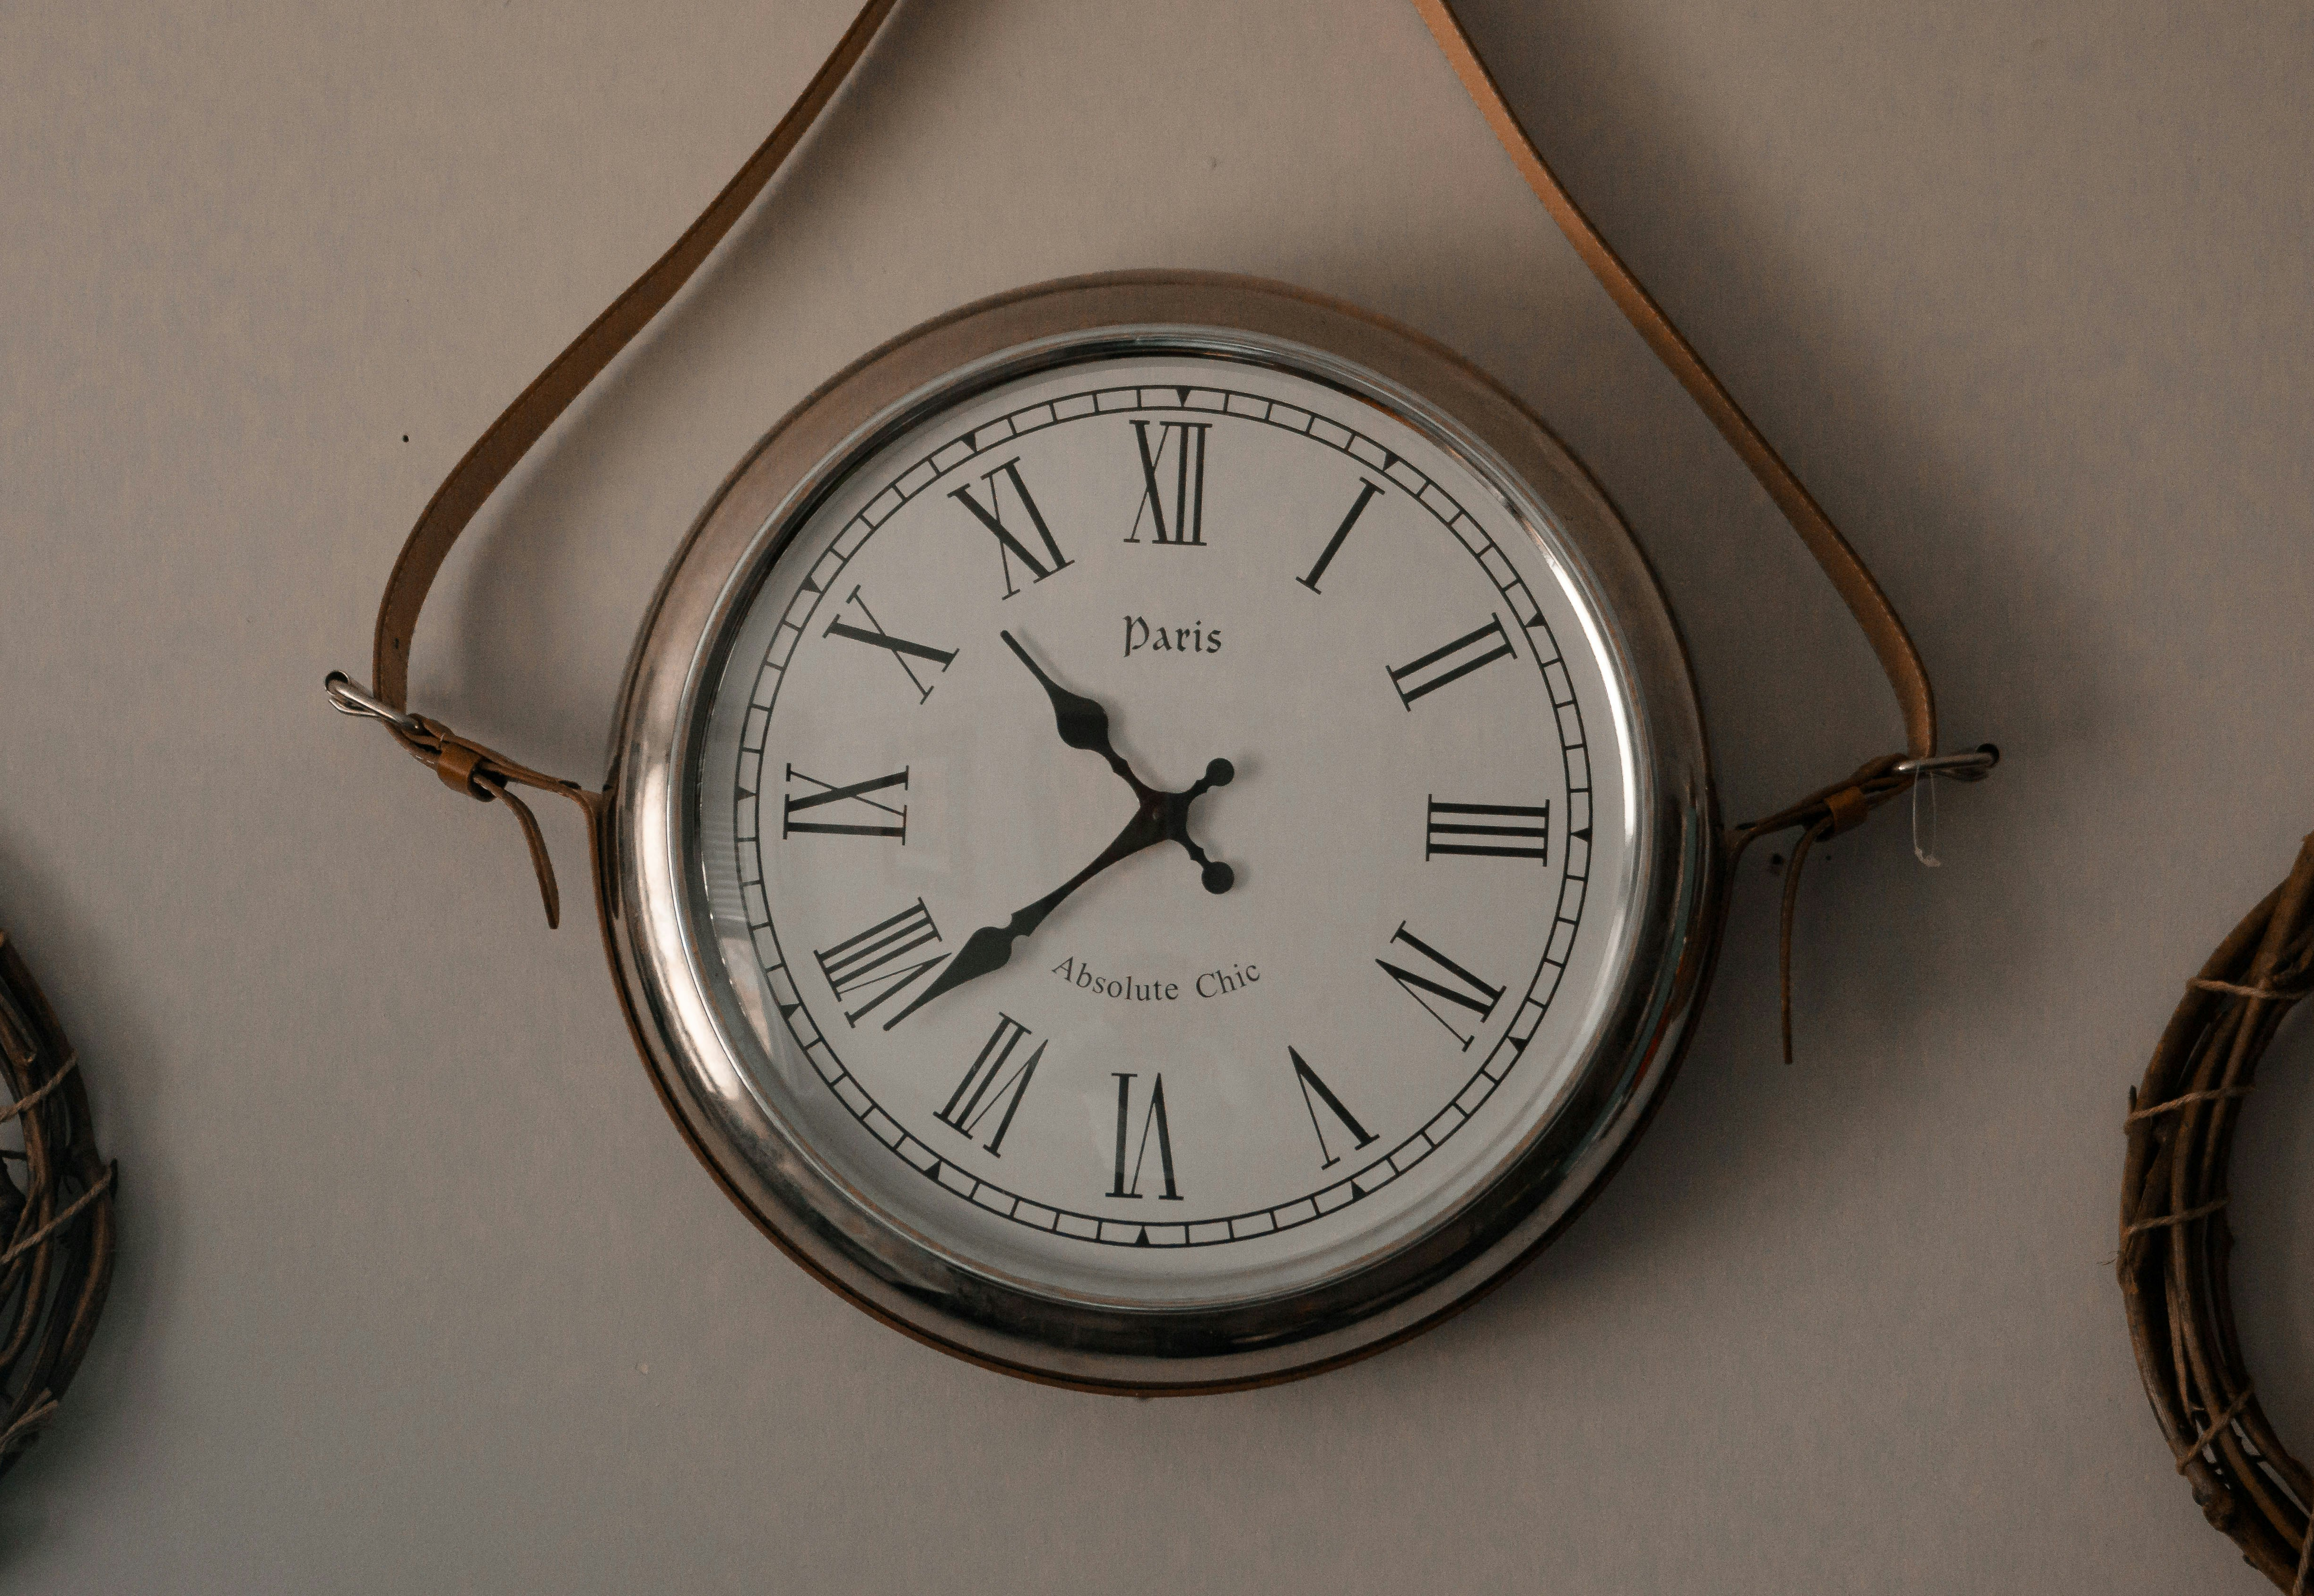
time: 10:38
